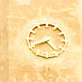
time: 8:22
